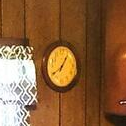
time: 8:06
